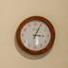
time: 3:04
